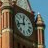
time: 11:42
